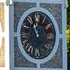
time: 10:56
